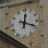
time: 12:18
